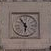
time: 5:54
